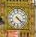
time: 4:22
